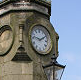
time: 1:46
